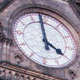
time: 3:58
